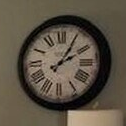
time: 2:04
